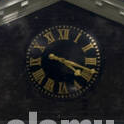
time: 4:17
